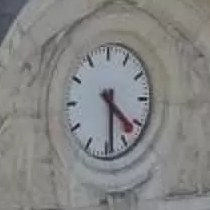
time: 4:29
